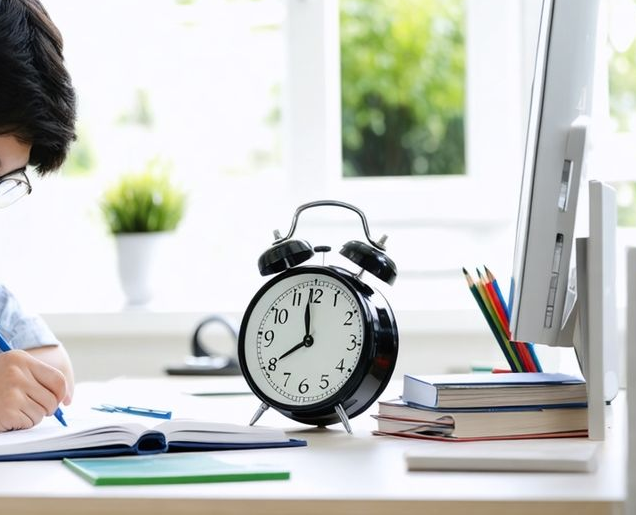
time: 7:58
